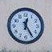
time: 12:24
